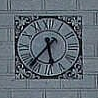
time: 5:36
